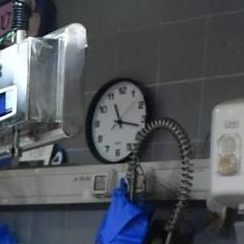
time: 11:17
